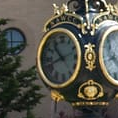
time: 10:41
